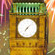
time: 7:07
